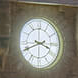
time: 3:40
